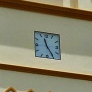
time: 11:24
